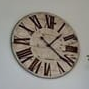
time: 1:21
